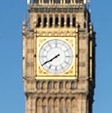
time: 7:39
